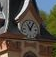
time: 11:05
